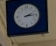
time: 2:14
